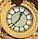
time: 12:37
